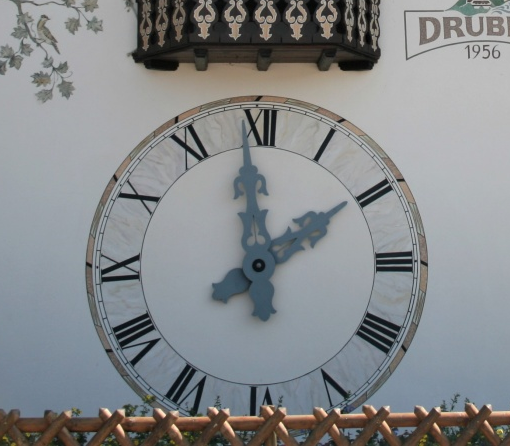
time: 1:58
